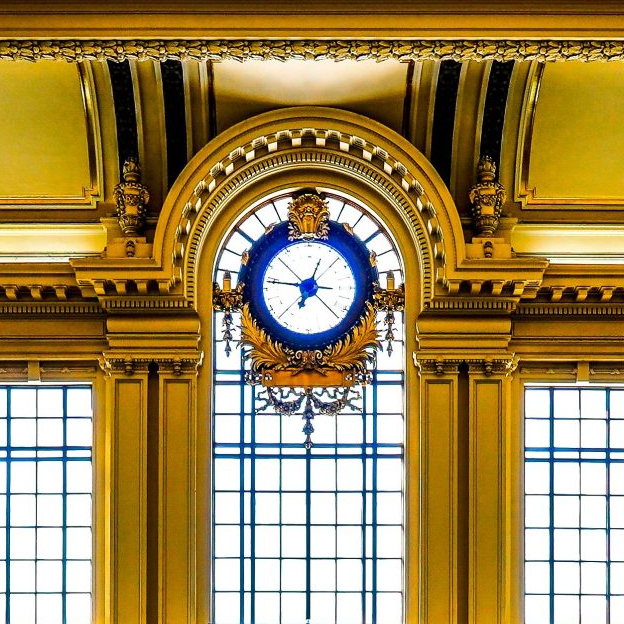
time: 12:46
